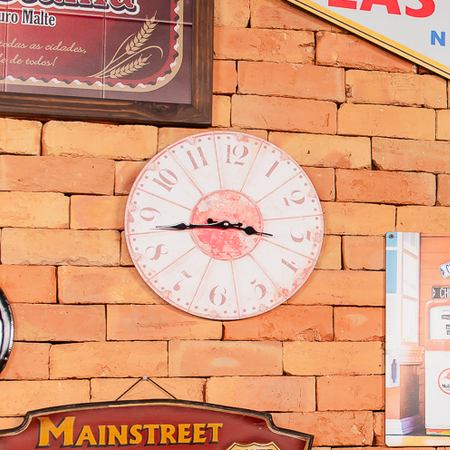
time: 3:43
